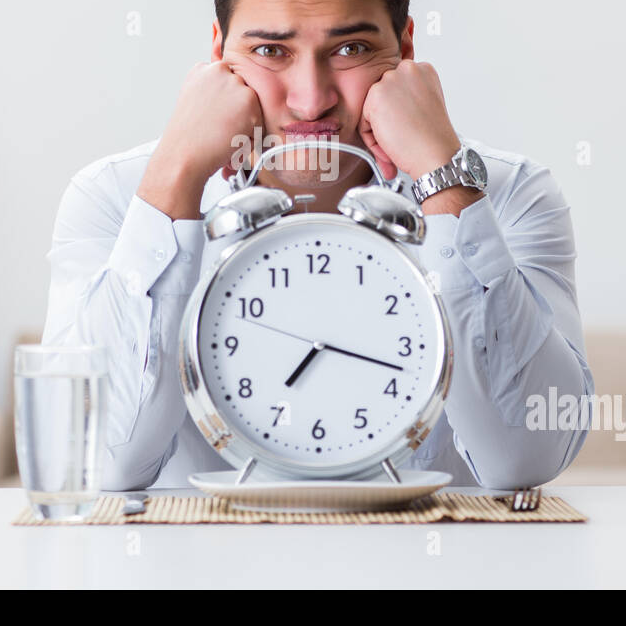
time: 7:17
